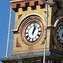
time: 1:02
